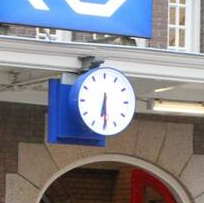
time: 6:29
